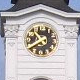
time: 10:38
